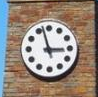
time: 2:57
